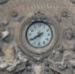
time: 7:39
